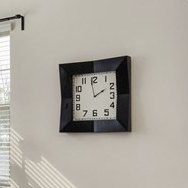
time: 1:58
